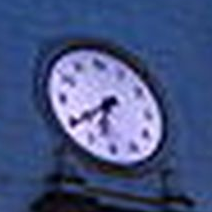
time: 6:39
